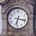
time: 6:17
